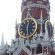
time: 12:29
